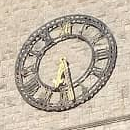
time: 6:27
